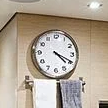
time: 4:19
